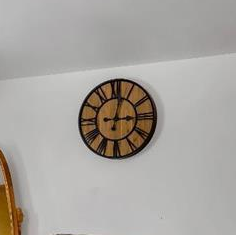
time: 3:02
